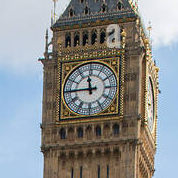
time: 11:45
